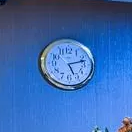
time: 5:12
